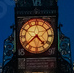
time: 4:38
